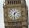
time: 1:31
